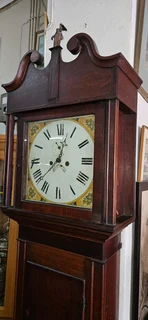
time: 12:37
